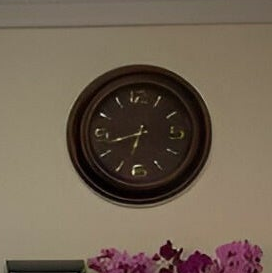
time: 6:42
